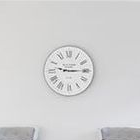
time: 9:14
